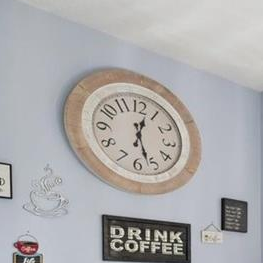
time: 12:26
